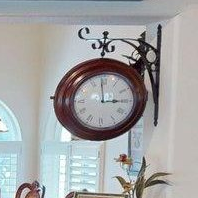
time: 2:59
